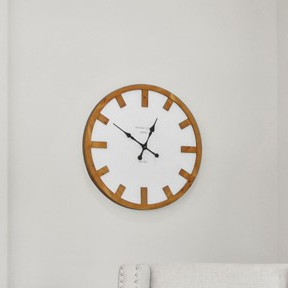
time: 12:50
